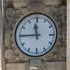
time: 11:45
